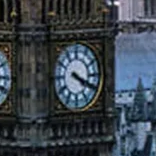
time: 4:19
